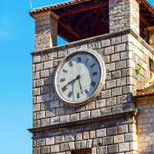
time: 8:27
